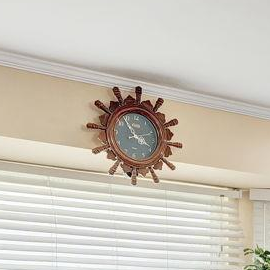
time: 3:53
